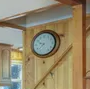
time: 9:37
